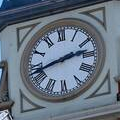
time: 2:42
